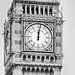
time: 12:01
